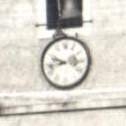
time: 9:42
